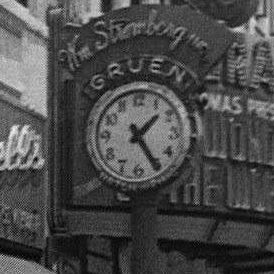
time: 1:24
